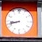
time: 8:42
